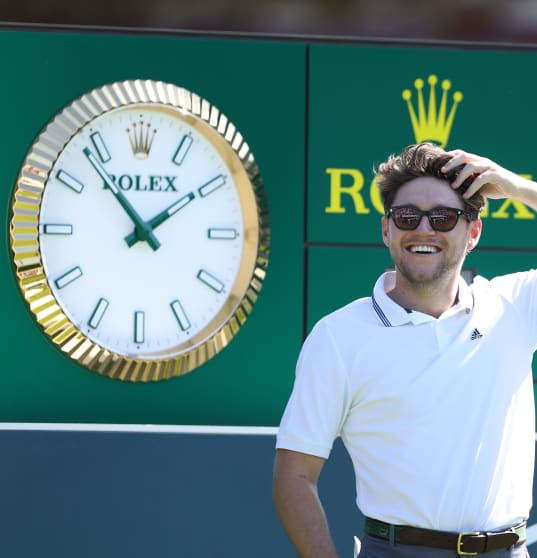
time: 1:53
